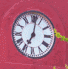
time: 7:01
